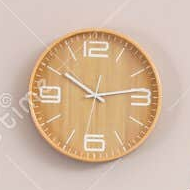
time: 10:13
